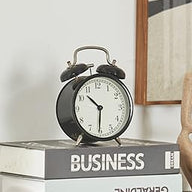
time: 10:30
